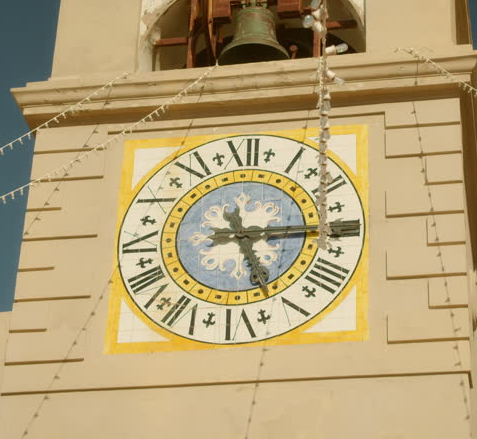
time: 5:14
